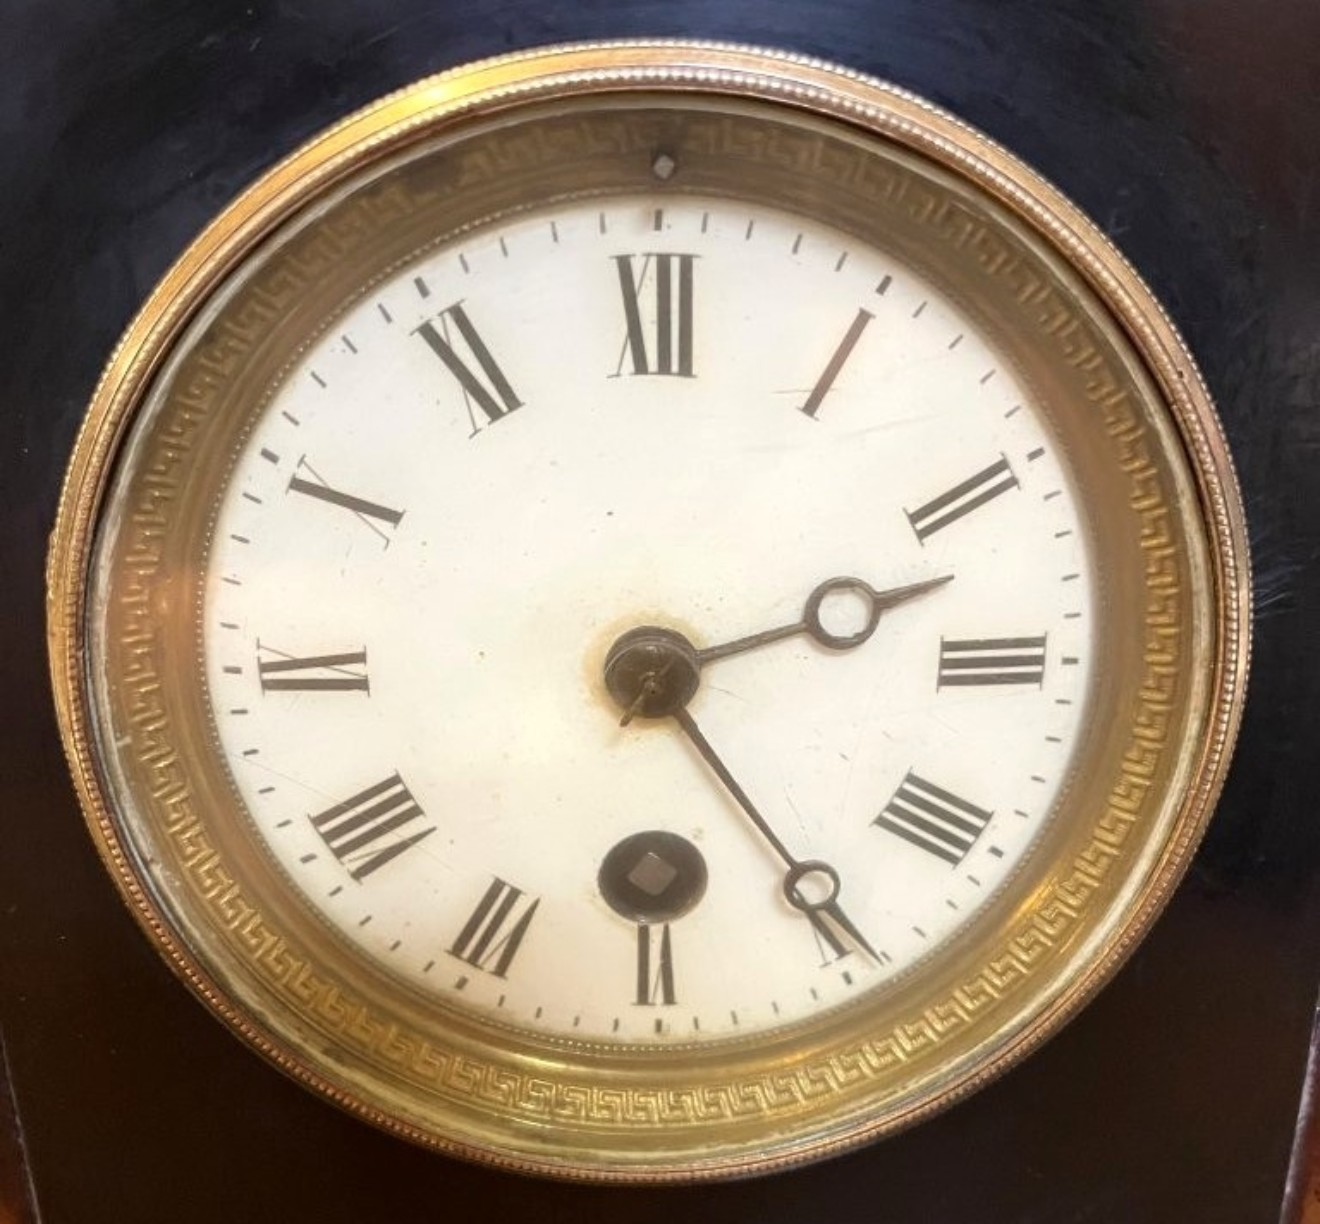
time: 2:24
